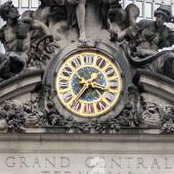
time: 3:36
